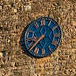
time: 8:37
